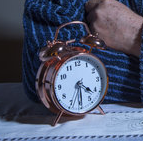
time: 4:29
